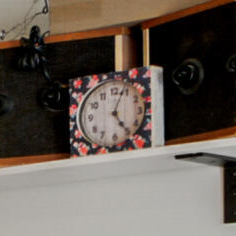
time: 5:03
